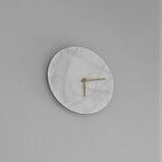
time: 6:13
